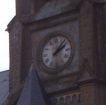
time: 2:06
